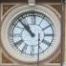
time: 10:52
